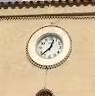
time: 12:37
